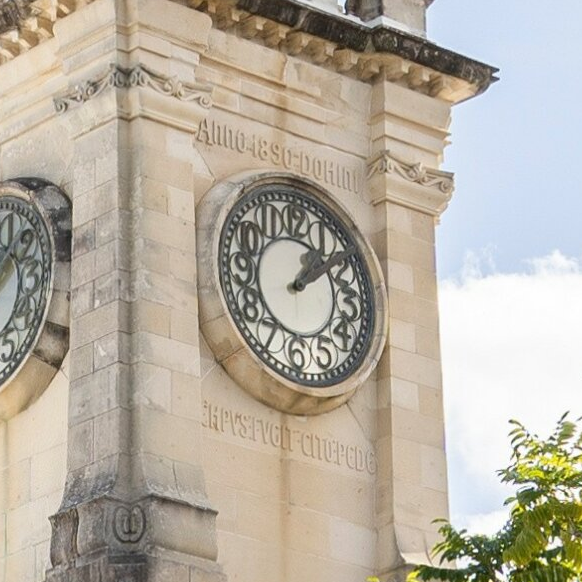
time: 1:09
